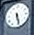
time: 5:26
